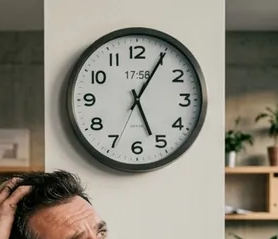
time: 5:05
